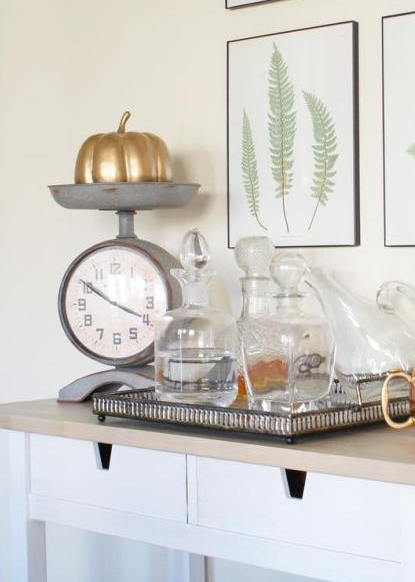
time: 3:50
